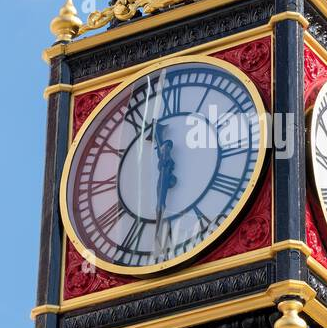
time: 11:31
